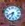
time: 6:41
